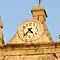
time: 4:36
